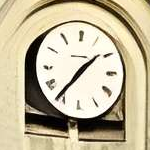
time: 1:36
